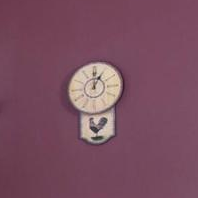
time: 12:05
